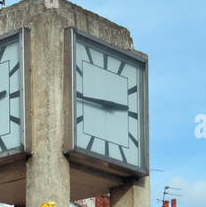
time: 2:44
